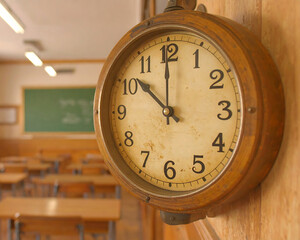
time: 11:51
